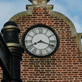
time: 8:18
